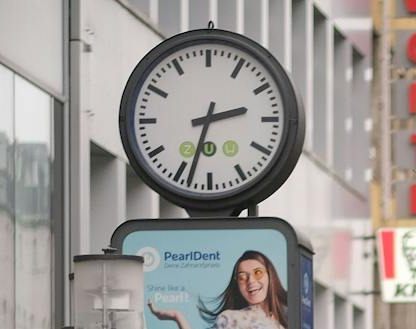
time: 2:33
